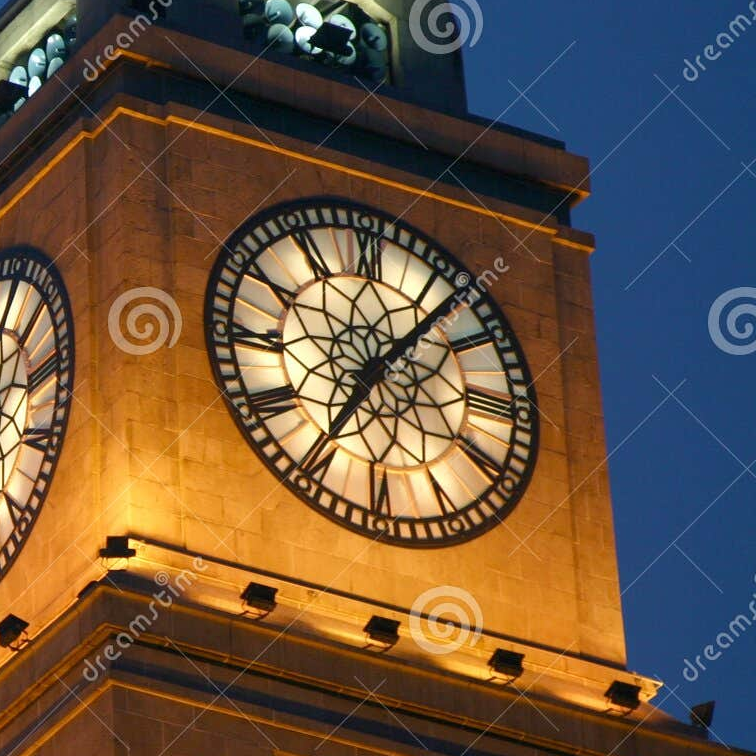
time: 7:06
